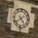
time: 4:38
